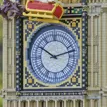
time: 10:12
